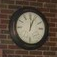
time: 12:04
